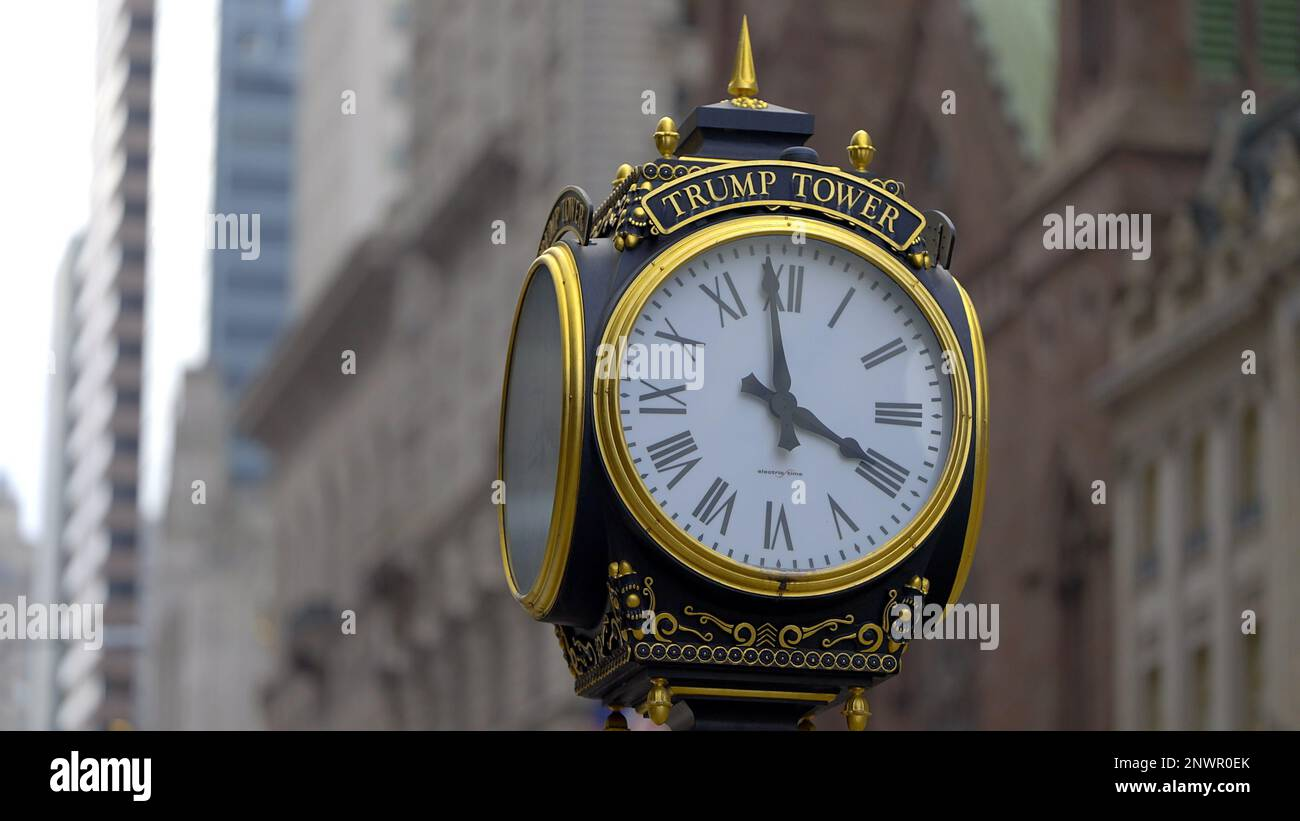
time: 3:59
